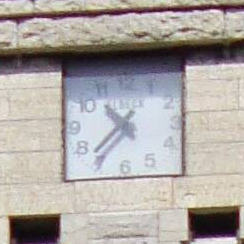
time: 10:37
